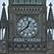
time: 12:38
